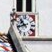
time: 10:42
